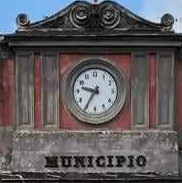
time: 9:35
